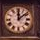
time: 12:08
